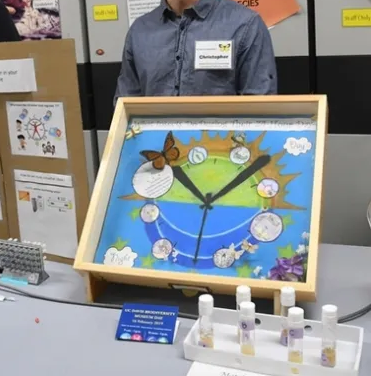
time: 10:07
